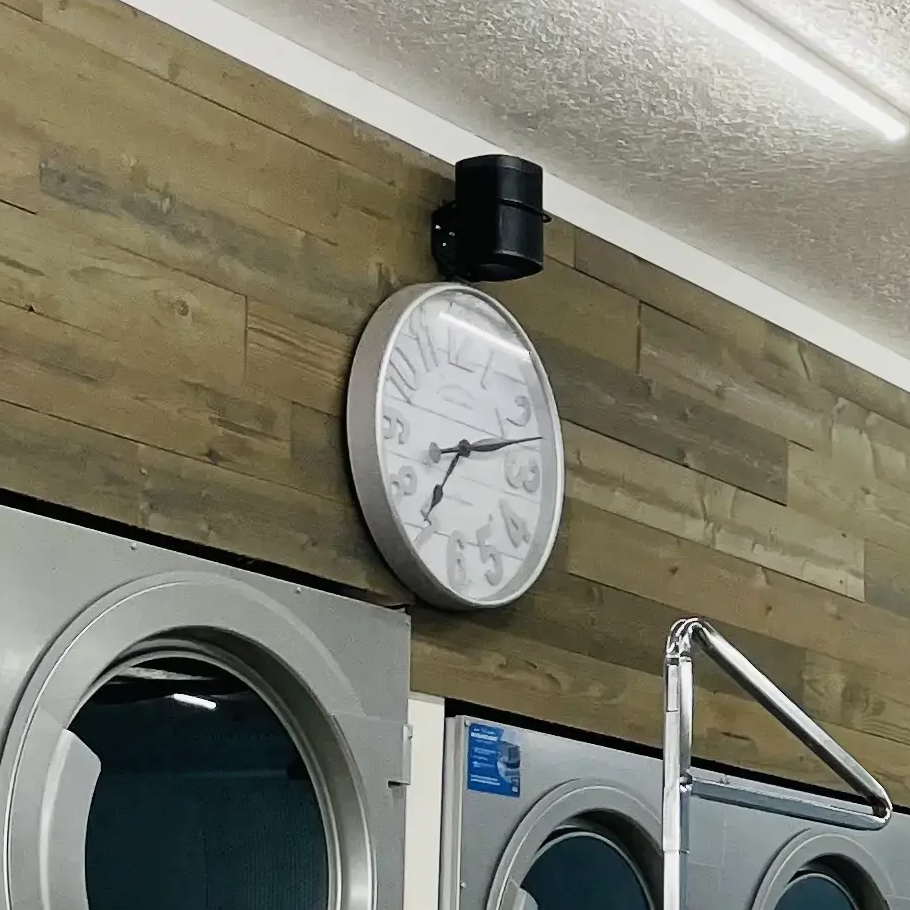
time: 7:12
